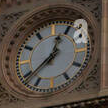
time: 12:38
